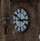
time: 2:50
